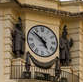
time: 4:51
